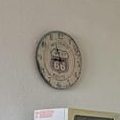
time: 8:56
